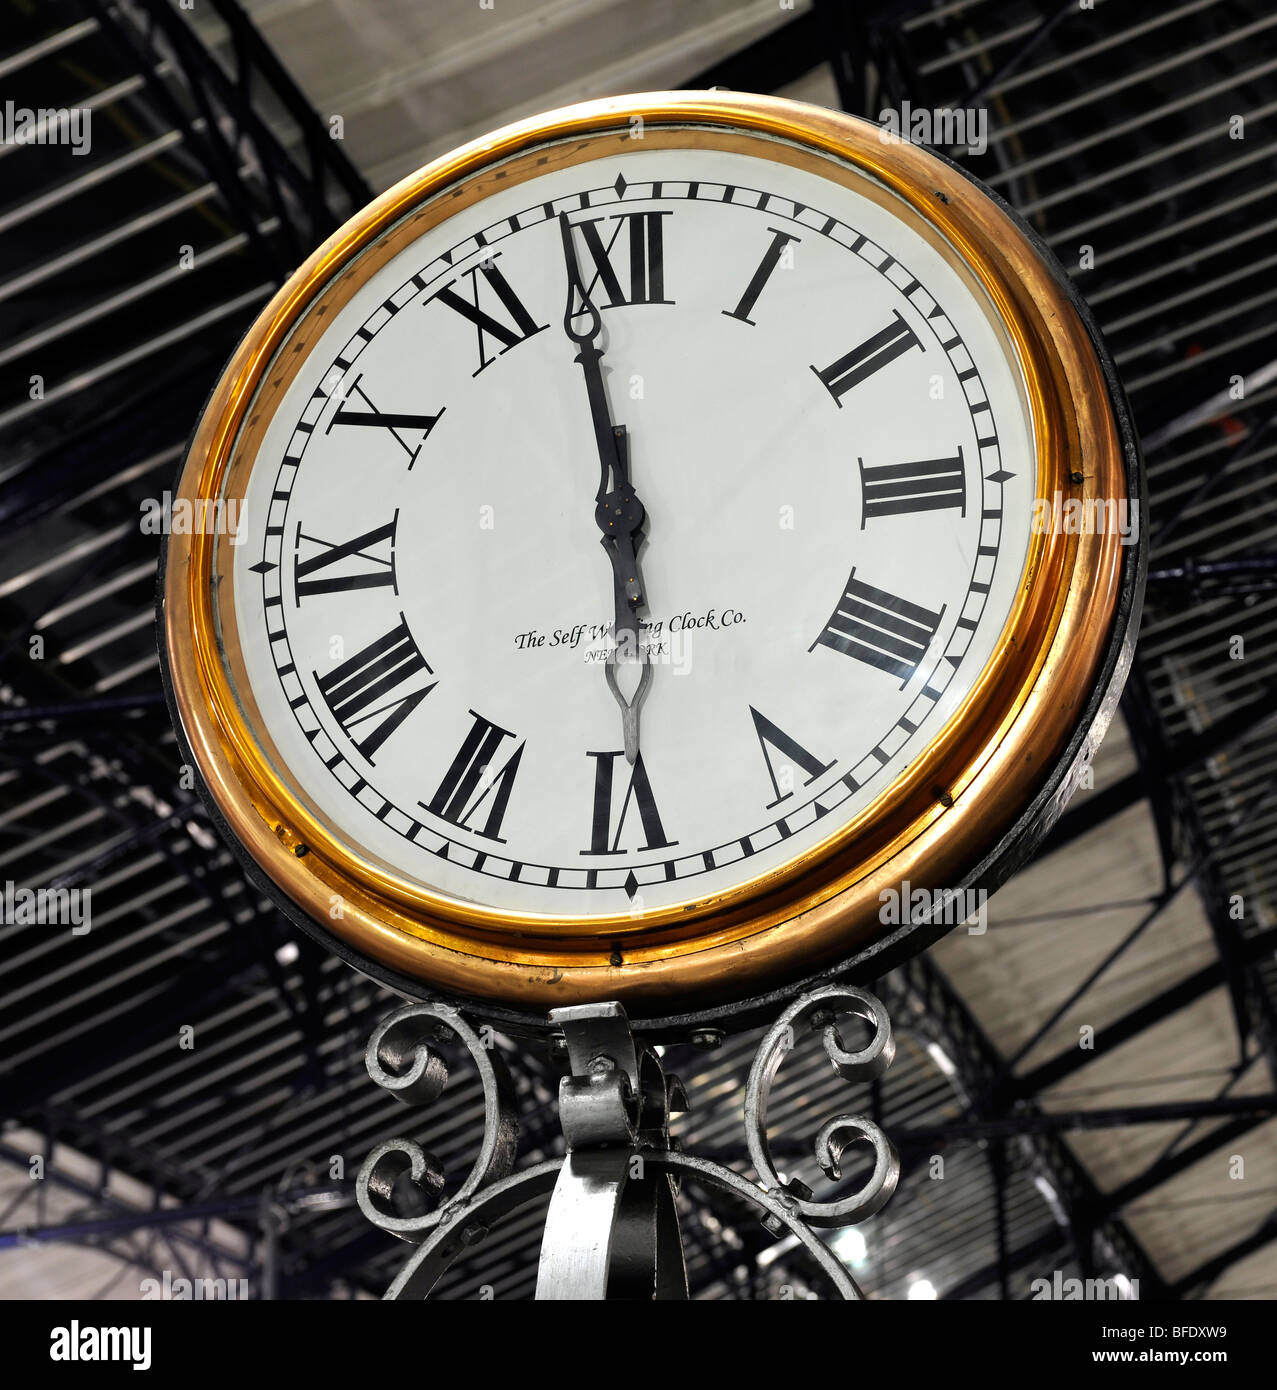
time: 5:58
